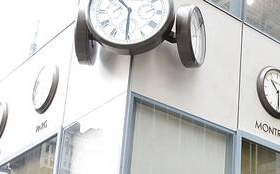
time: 10:30
